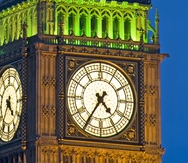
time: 4:35
